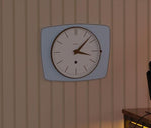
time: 3:07
